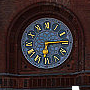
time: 6:14
